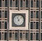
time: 11:07
